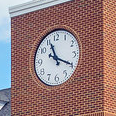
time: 11:19
